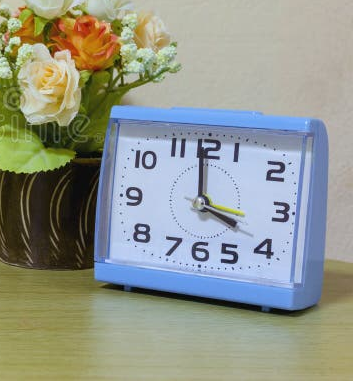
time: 3:59
